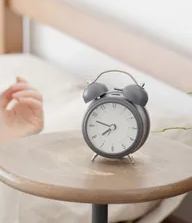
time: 7:47
